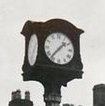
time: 1:37
